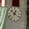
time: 12:52
